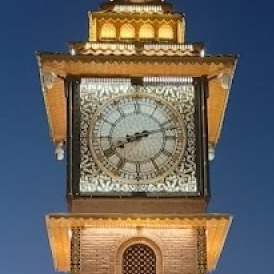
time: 8:12
